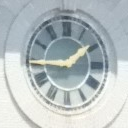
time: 1:44
